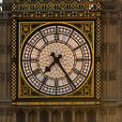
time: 7:24
